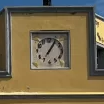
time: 1:05
